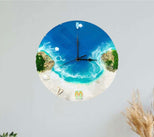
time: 2:59
